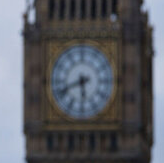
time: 5:41
